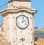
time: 2:02
